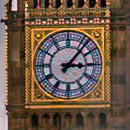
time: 3:06
